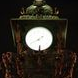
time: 1:40
